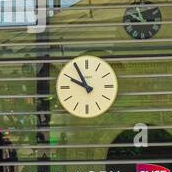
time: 9:55
